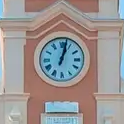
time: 1:02
